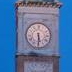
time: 5:30
